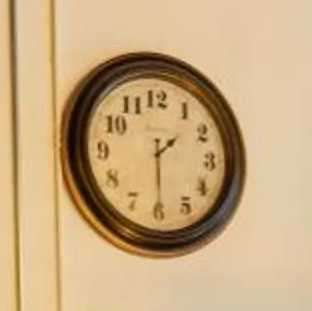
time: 1:29
